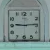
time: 9:14
